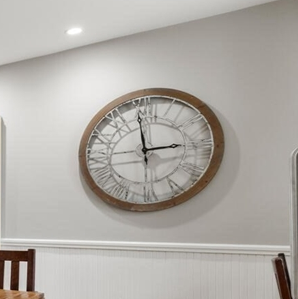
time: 2:59
